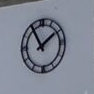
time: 1:54
